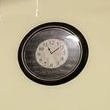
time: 11:09
